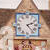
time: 2:23
